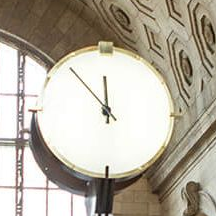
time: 11:52
